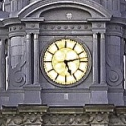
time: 5:12
